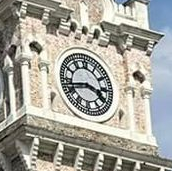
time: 3:43
